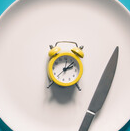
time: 2:07
